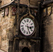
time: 3:26
